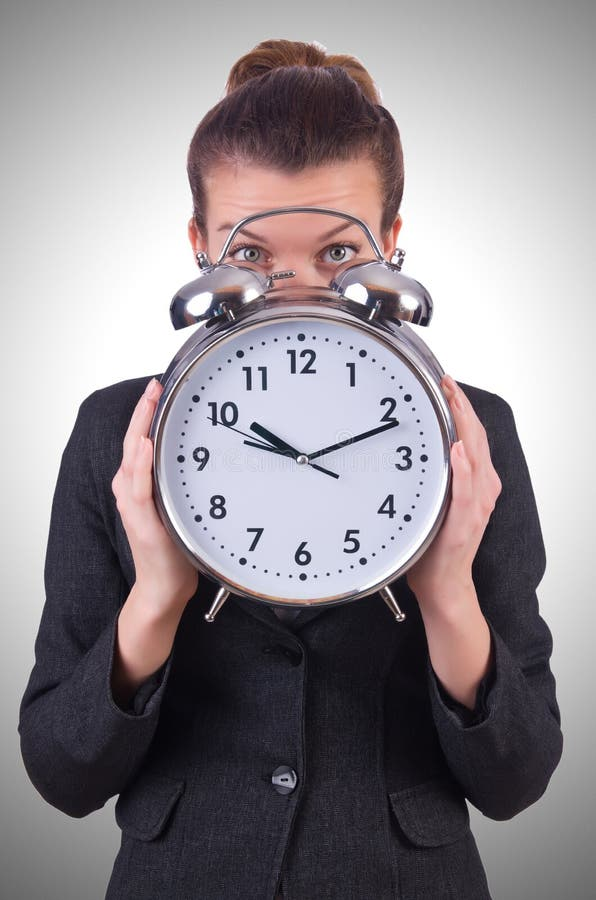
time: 10:11
